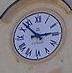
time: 2:52
